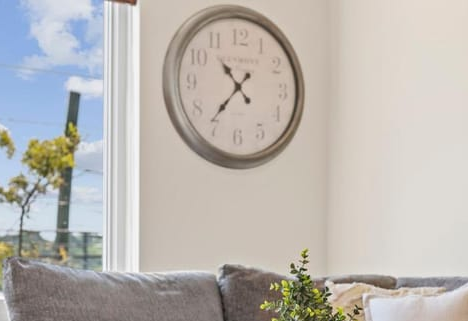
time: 10:36
